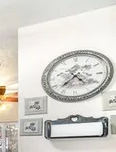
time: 4:37
